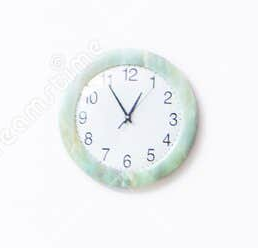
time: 12:54
